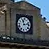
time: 11:12
